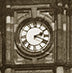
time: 2:18
